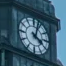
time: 4:02
